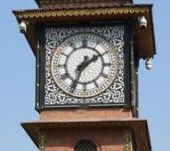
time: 1:34
